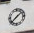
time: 1:37
